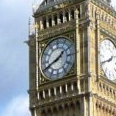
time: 1:41
